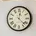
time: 12:22
